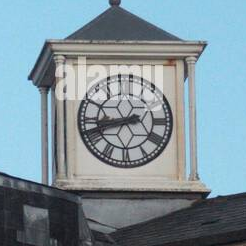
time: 8:42
